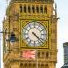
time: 4:22
